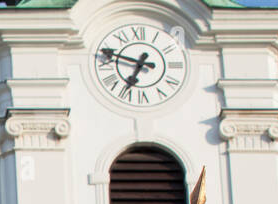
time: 6:48
